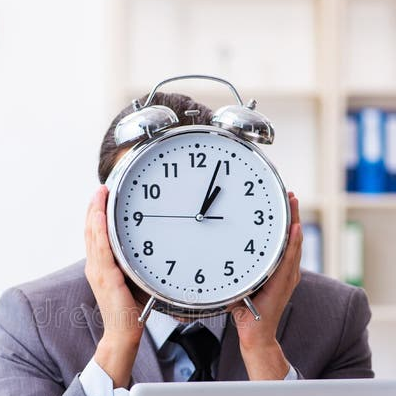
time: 1:03
